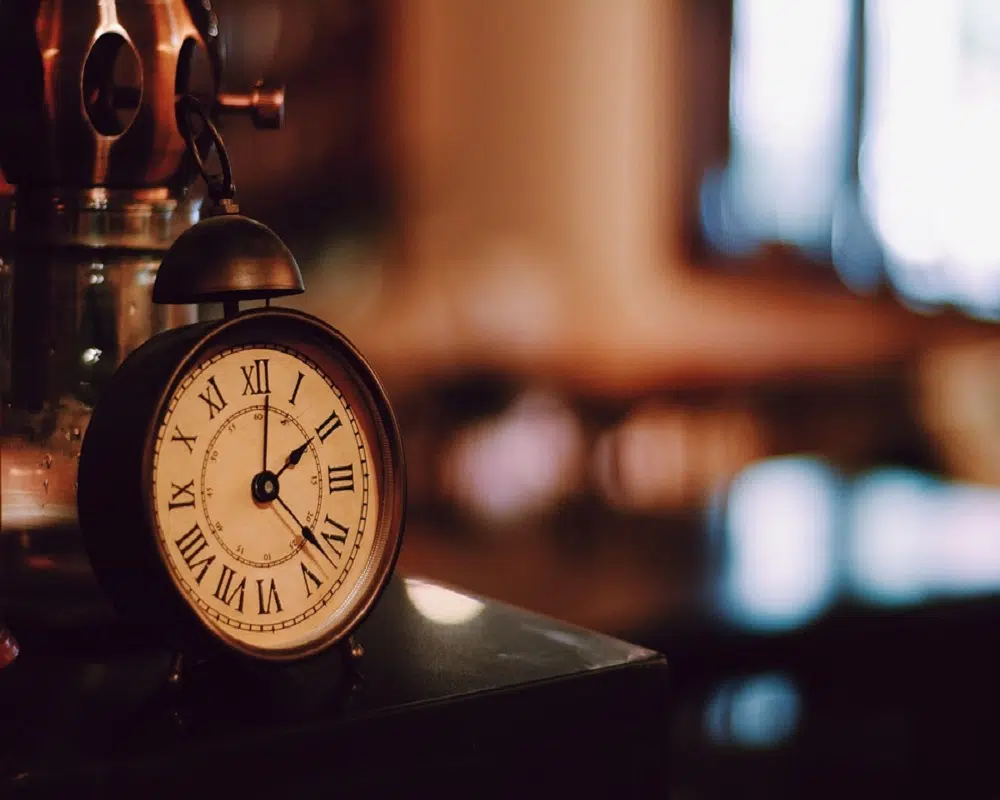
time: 2:01
